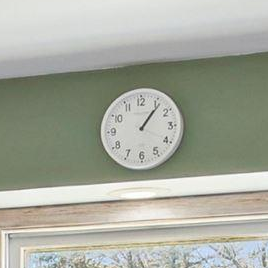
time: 1:06
